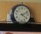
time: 4:11
